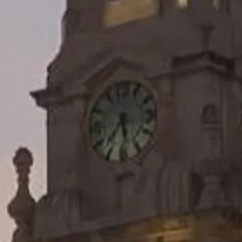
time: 5:36
